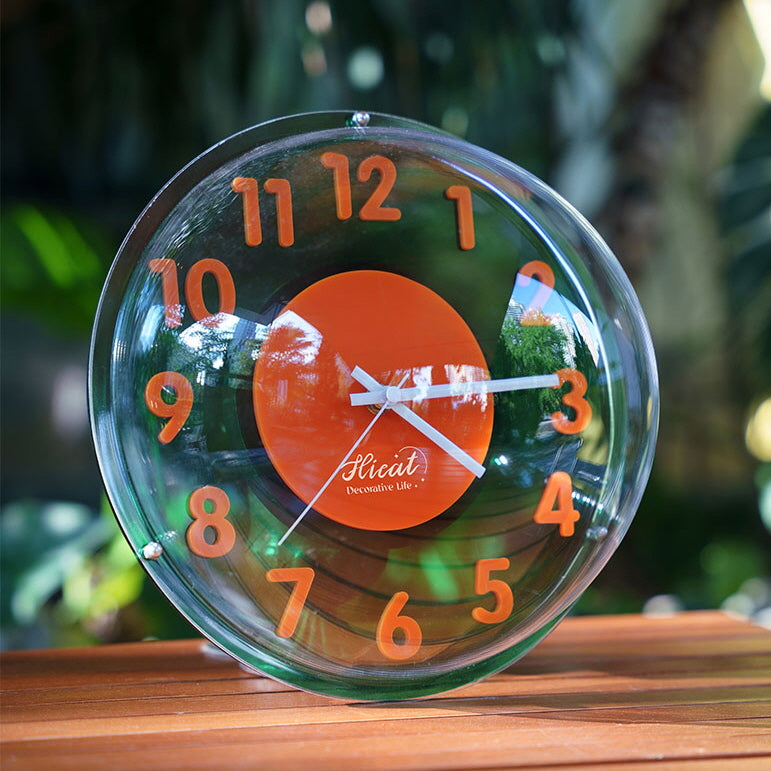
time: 4:14
